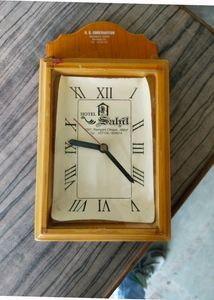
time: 9:21
